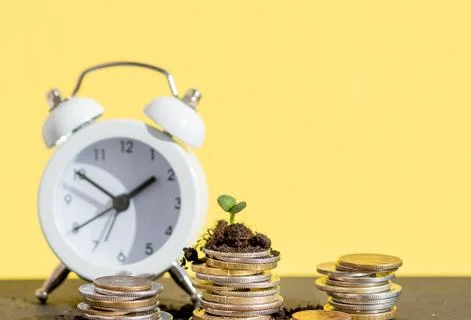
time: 1:50
